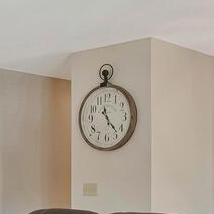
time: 11:23
